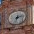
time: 2:32
